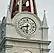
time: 8:32
